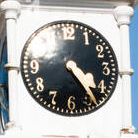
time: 4:23
